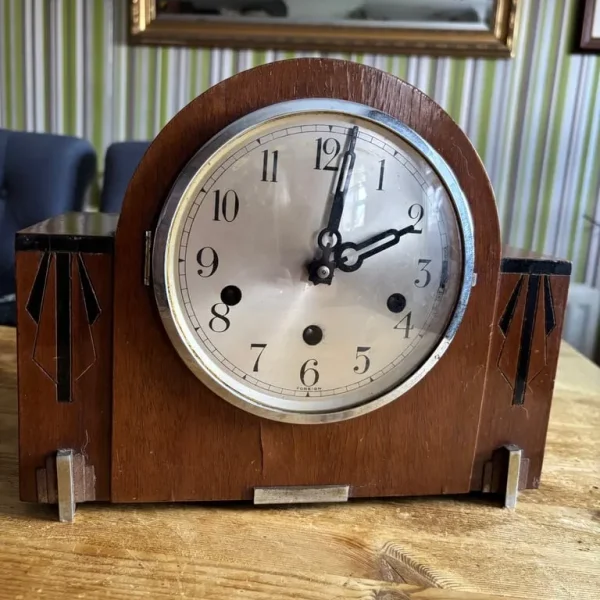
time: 2:01
